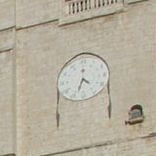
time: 4:33
